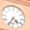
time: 4:34
